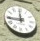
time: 11:44
